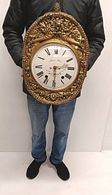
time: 2:29
